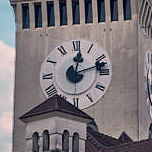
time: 12:12
